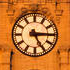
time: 5:15
